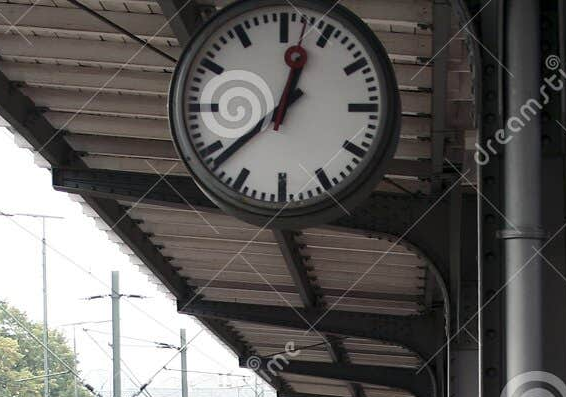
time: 12:38
